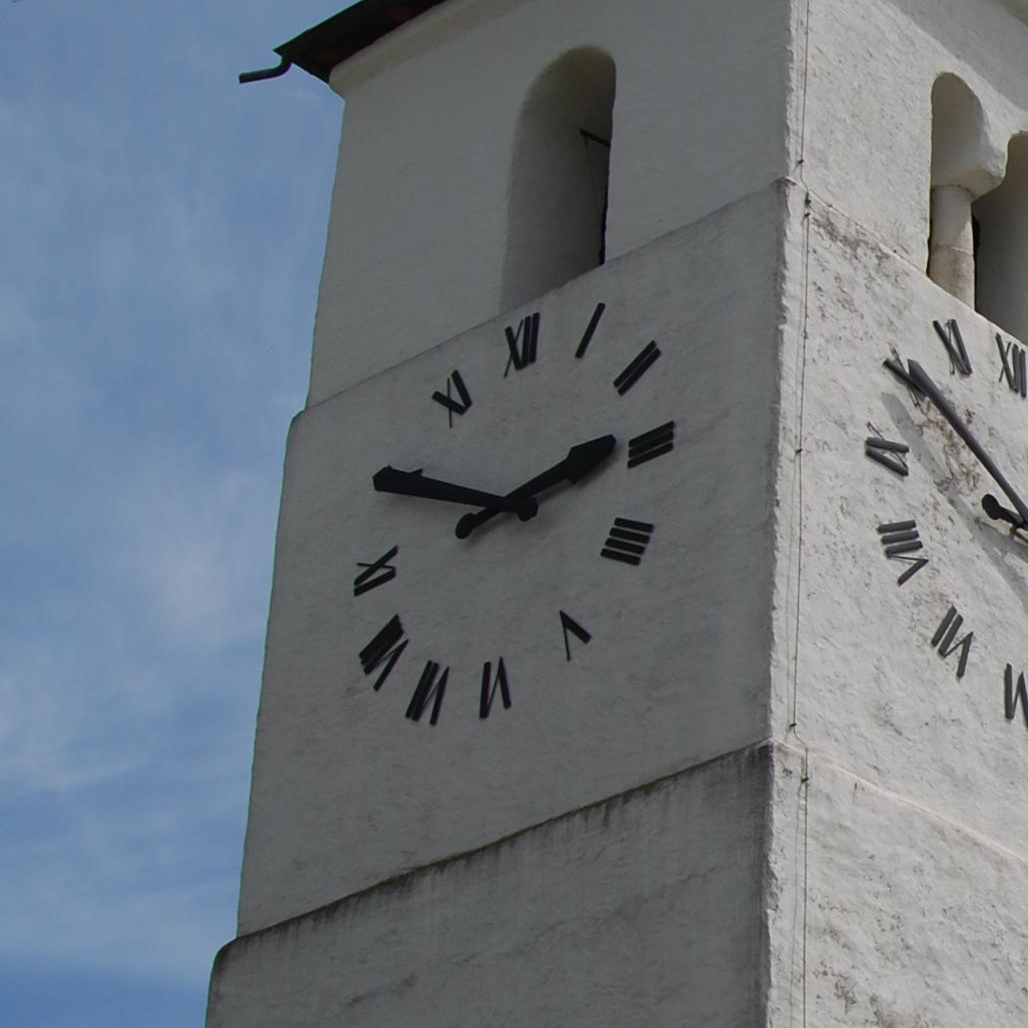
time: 2:49
